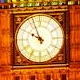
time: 9:56
